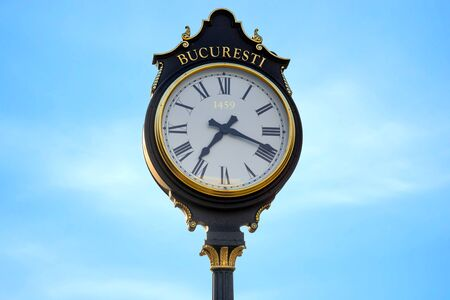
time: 7:18
